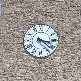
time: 3:21
